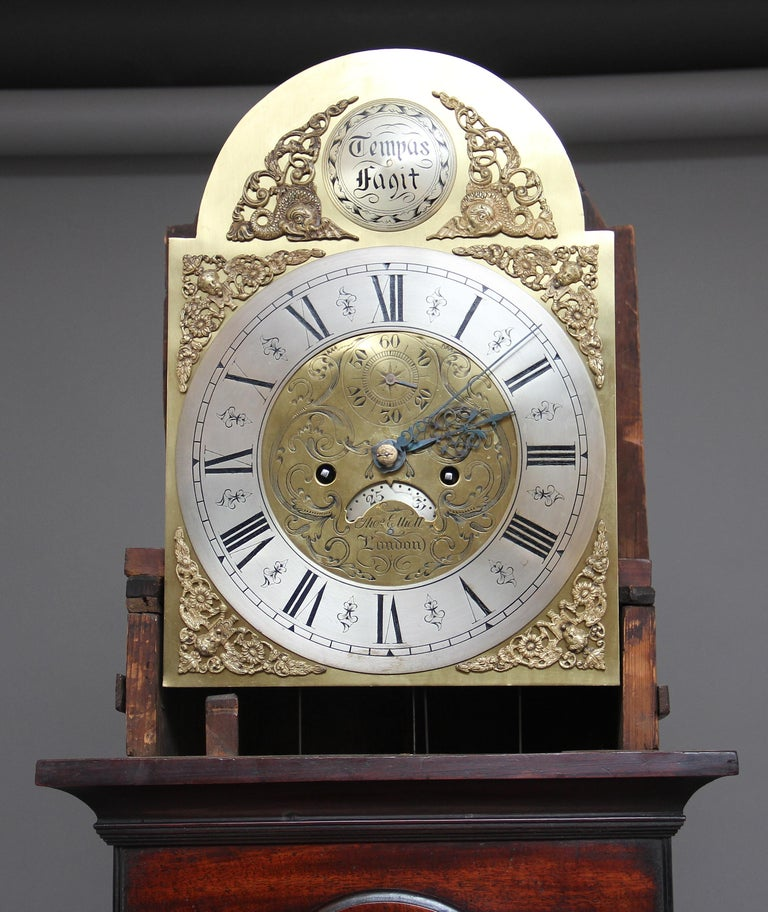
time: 4:12
